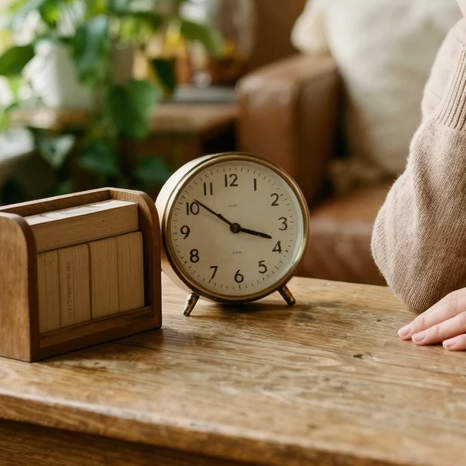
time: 3:51
